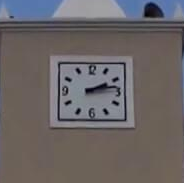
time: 2:13
